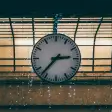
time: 2:37
